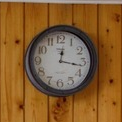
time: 12:16
